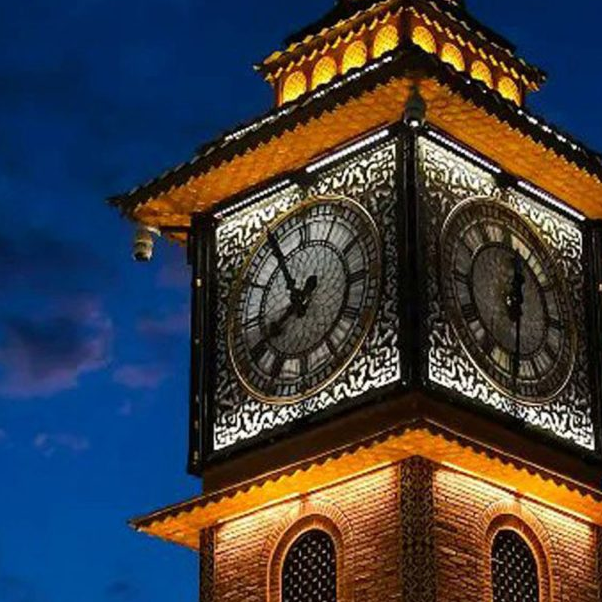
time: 7:55
